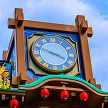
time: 3:48
